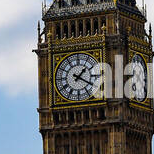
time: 1:20
